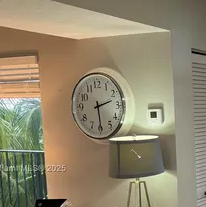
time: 2:29
